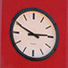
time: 2:49
